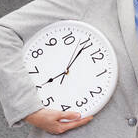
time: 8:05
